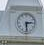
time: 2:29
